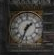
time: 1:33
